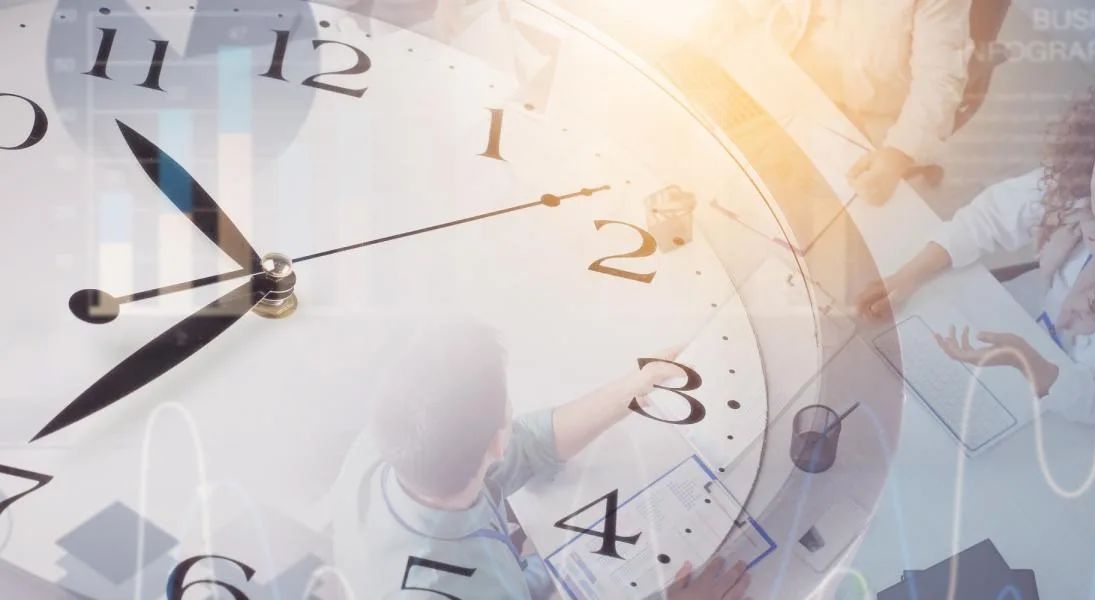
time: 10:36
